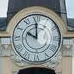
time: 10:00
